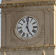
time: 5:00
